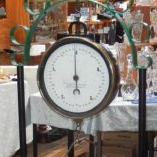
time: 6:00
